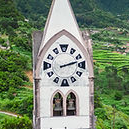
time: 2:12
